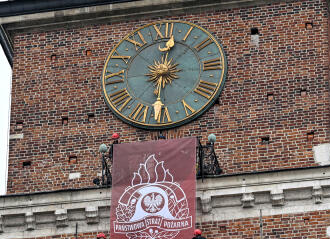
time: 12:31
